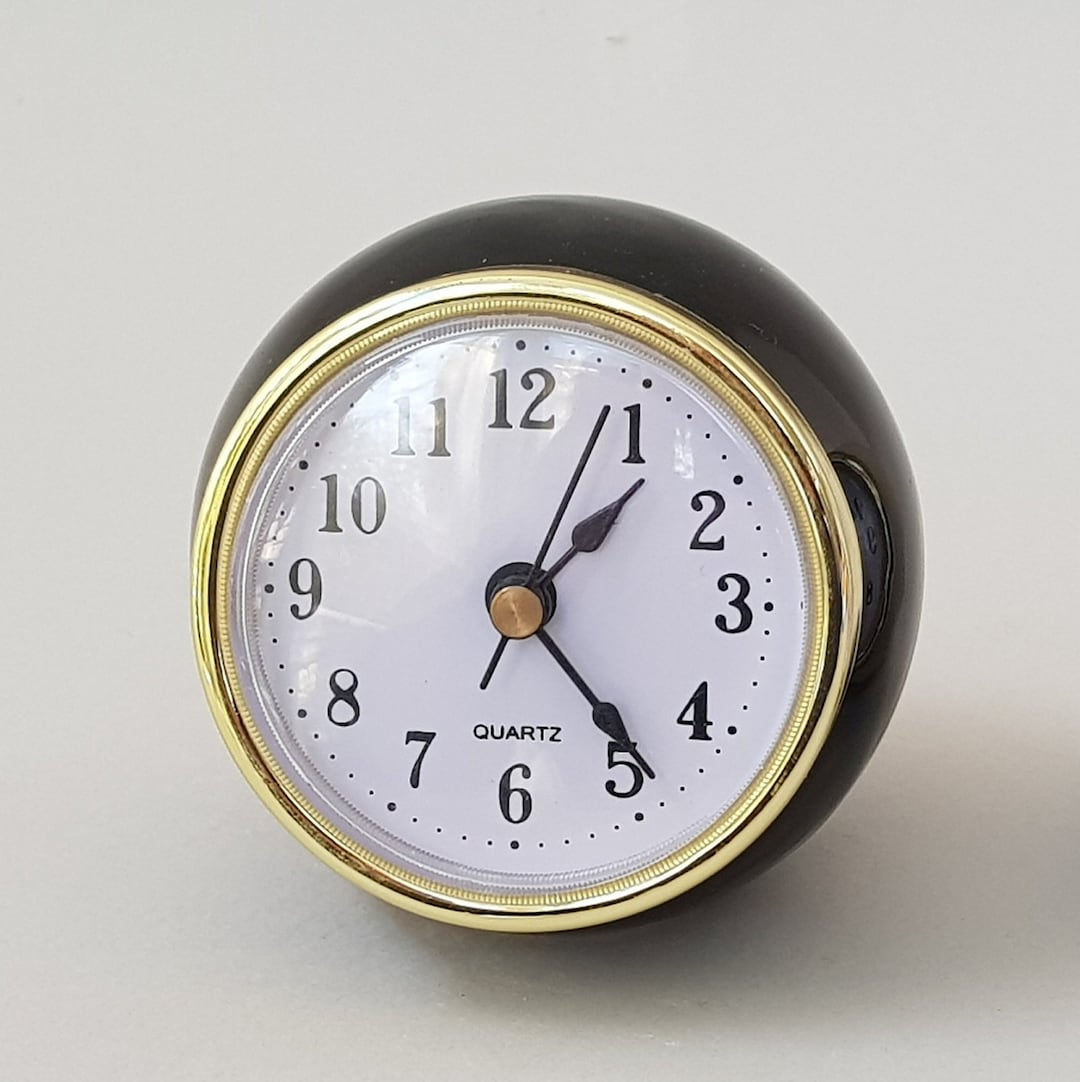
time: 1:23
